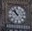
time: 10:52
